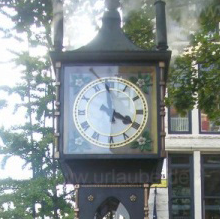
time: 3:58
